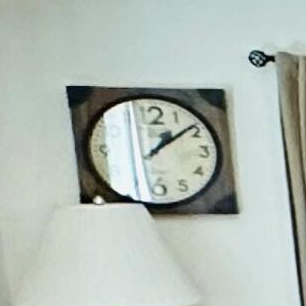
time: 1:08
